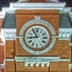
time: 8:54
